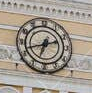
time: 6:42
